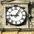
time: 9:05
